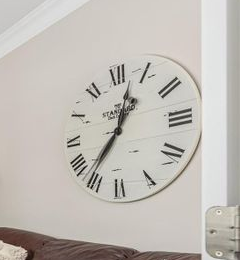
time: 12:36
